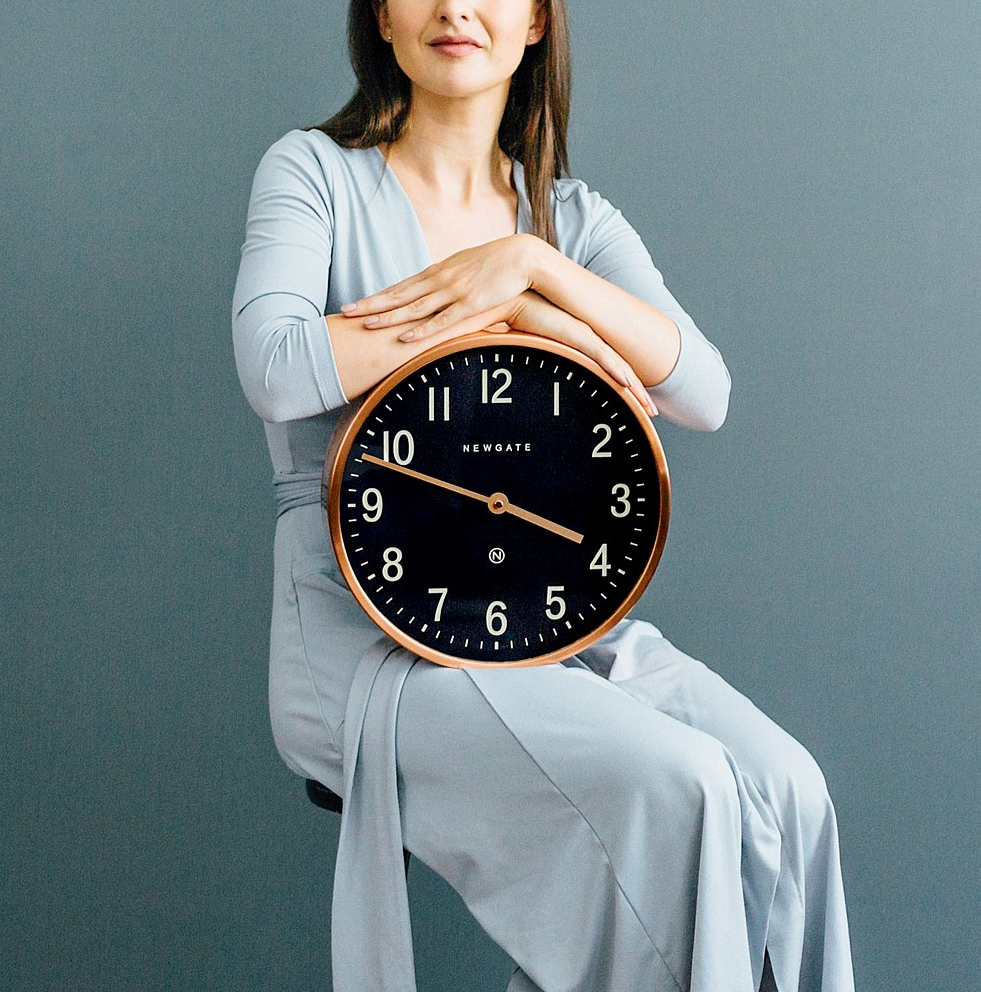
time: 3:48
